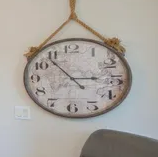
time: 2:53
